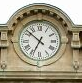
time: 6:51
